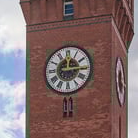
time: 12:14
